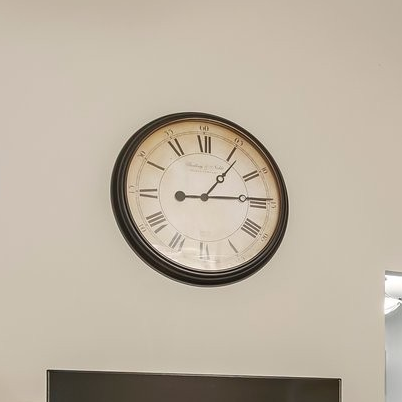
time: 1:14
